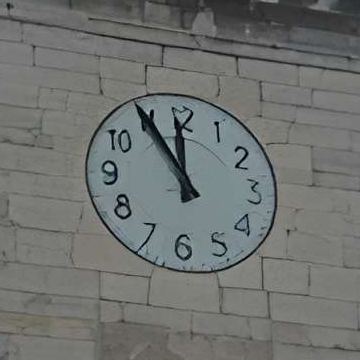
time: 11:54
